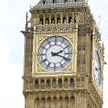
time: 2:18
